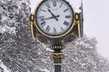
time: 10:42
